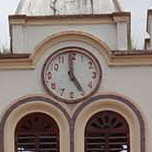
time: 4:59
